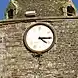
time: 4:15
